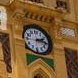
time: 2:14
